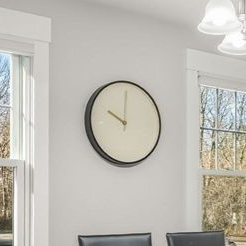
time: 10:00
